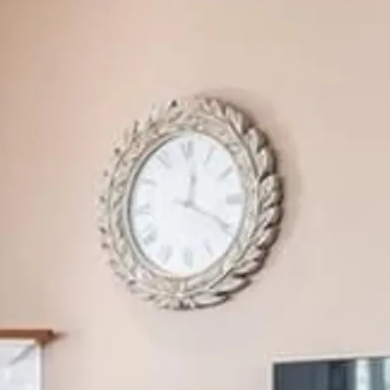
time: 12:19
